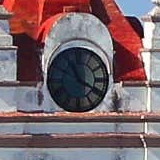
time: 11:19
